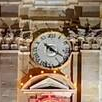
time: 10:20
